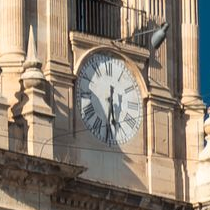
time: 5:31
